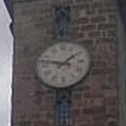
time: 1:46
